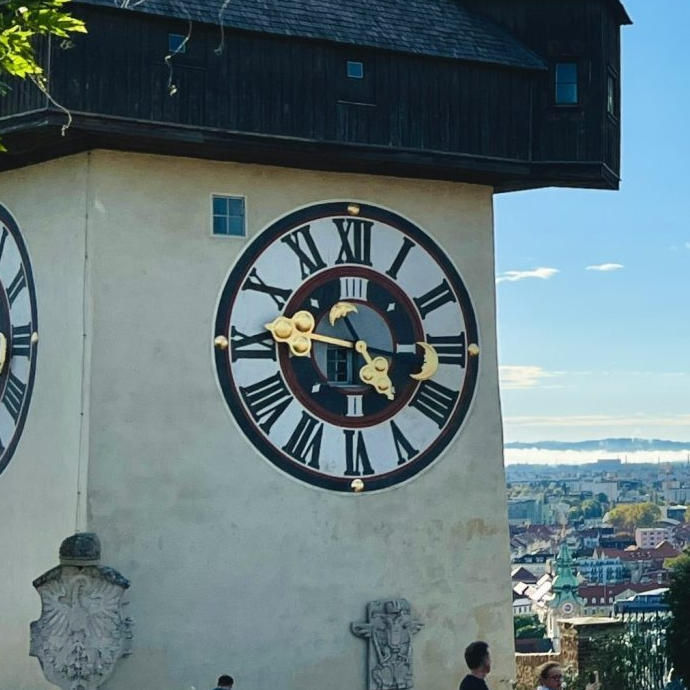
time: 4:46
